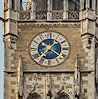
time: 1:36
